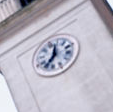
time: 11:35
